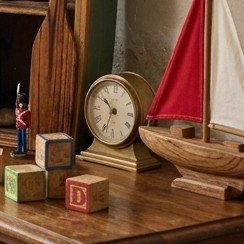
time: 10:33
